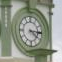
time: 4:15
